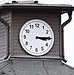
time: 3:14
